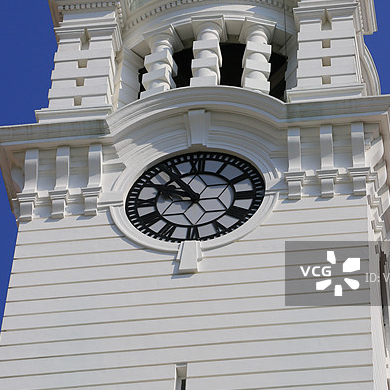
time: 9:53
